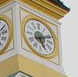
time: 5:11
